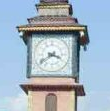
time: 3:39
